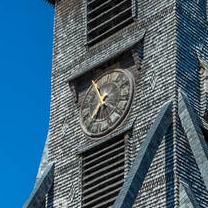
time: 6:54
